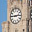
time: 2:45
